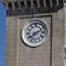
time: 8:11
